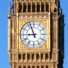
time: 8:56
